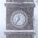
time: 11:36
